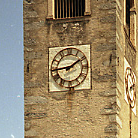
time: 1:44
